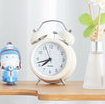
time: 7:42
